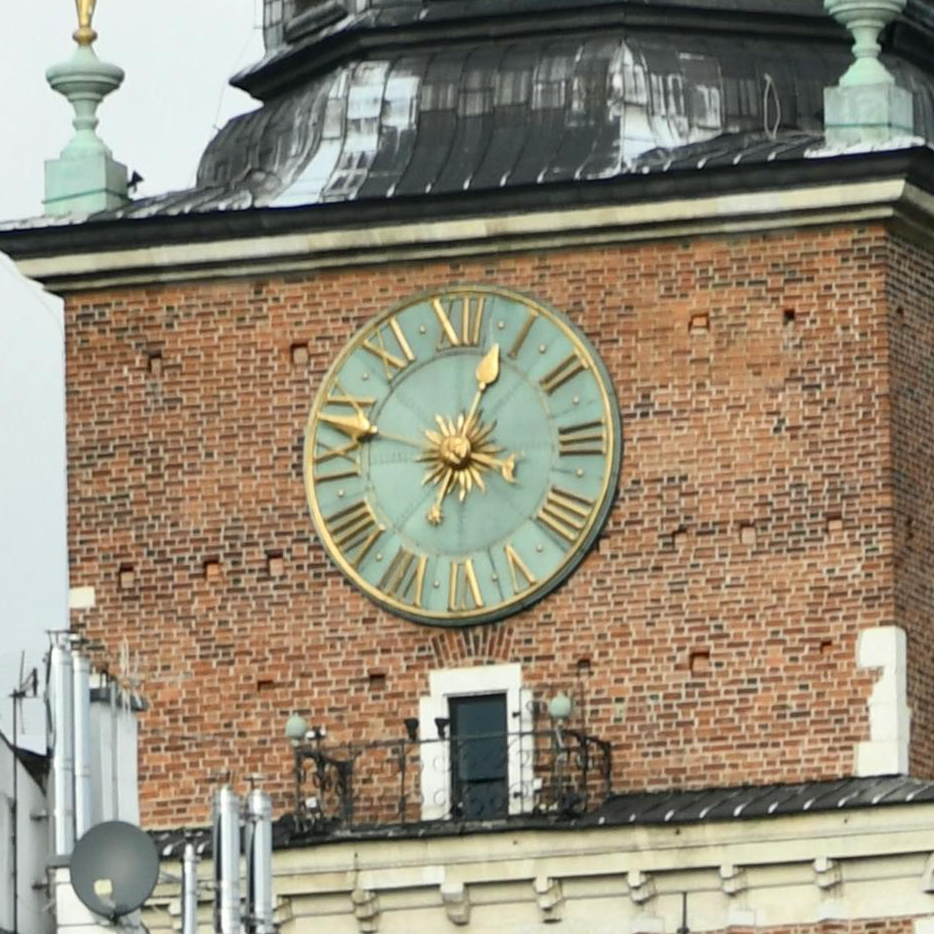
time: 12:47
